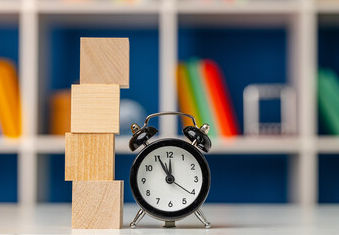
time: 11:55
